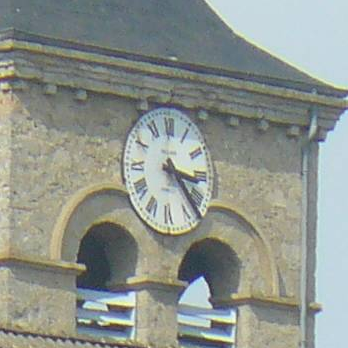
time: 3:22
